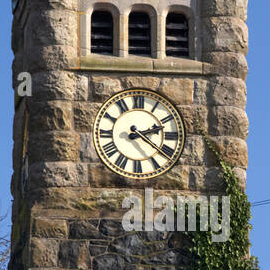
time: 2:21
